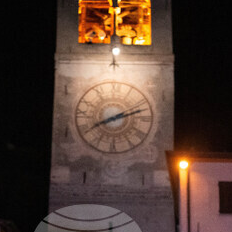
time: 8:12
